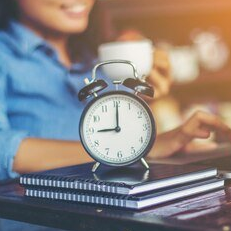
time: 9:00
